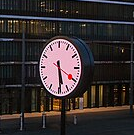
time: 5:29
